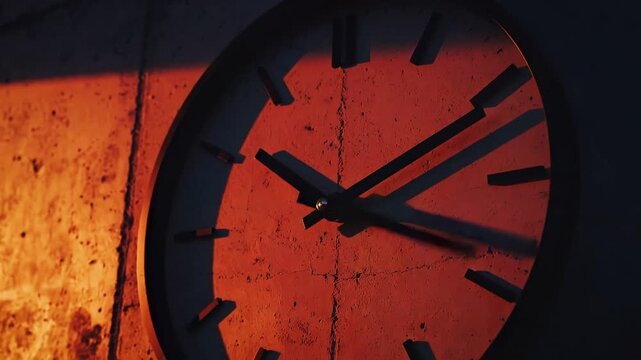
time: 2:18
